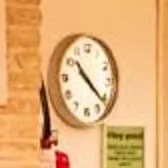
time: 10:21
